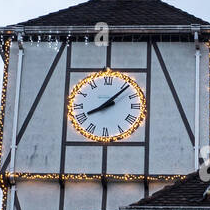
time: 8:07
